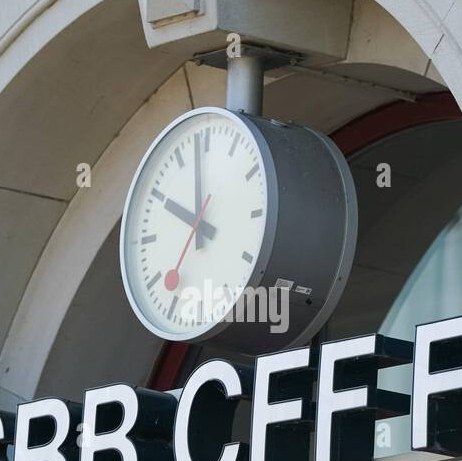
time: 9:58
